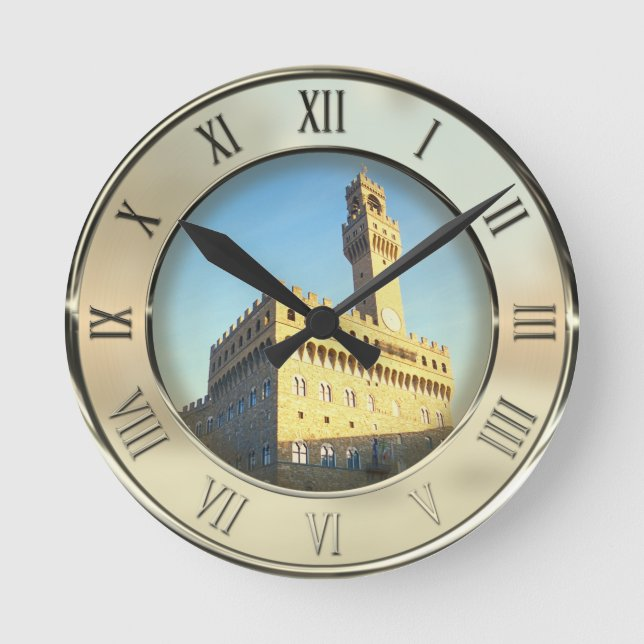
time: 10:09
